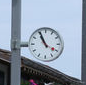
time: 10:55
